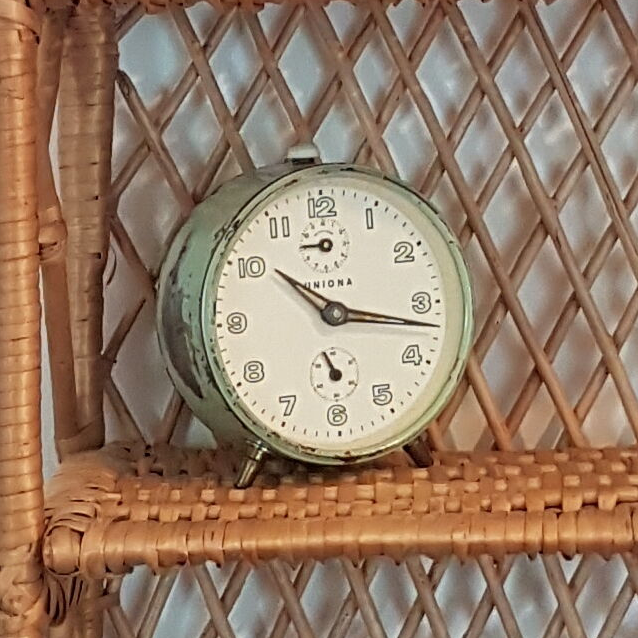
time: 10:17
